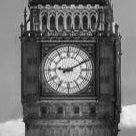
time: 9:10
